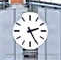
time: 2:25
